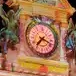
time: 7:18
